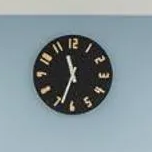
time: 11:33
